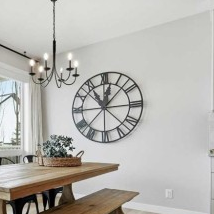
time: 11:02
